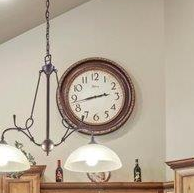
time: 2:42
